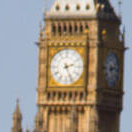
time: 2:26
